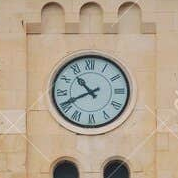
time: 10:41
